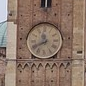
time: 11:40
